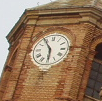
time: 5:54
